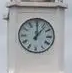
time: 12:06
